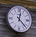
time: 12:22
